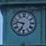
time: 6:47
